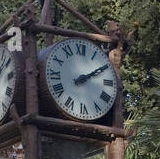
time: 2:09
